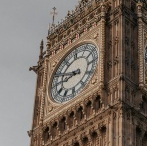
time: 8:49
